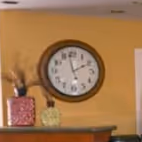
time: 1:58
